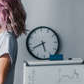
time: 5:41
